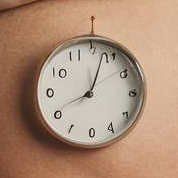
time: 8:02
